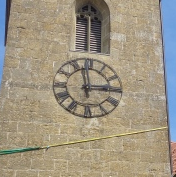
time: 2:58
